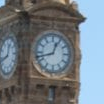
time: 12:42
